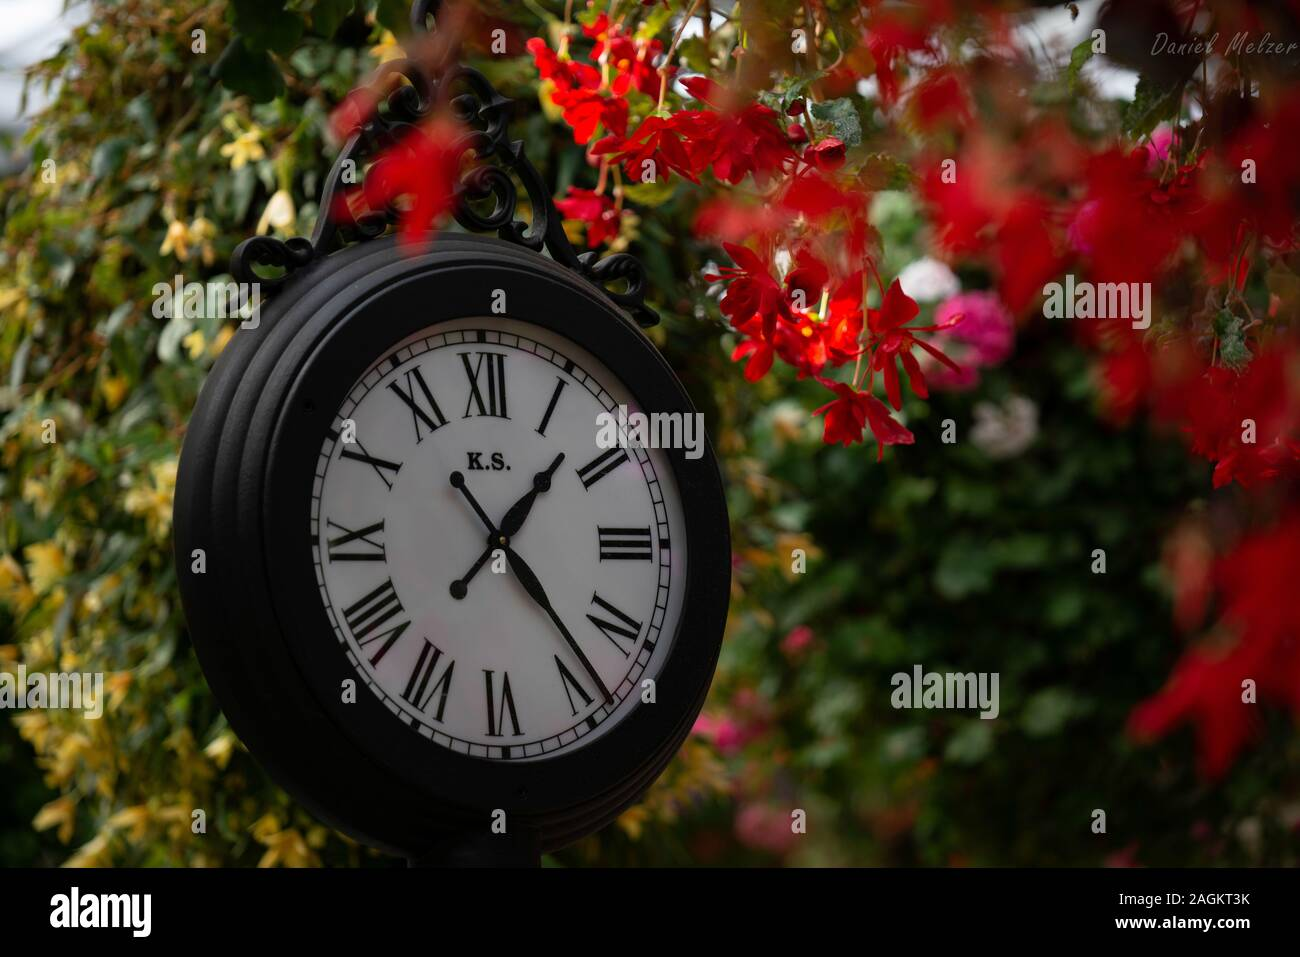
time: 1:23
